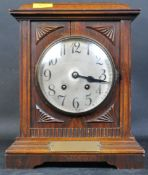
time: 3:16
